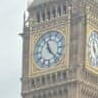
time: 11:22
